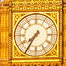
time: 7:35
